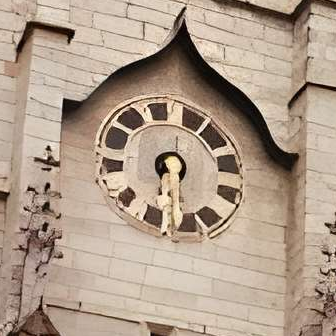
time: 6:29
